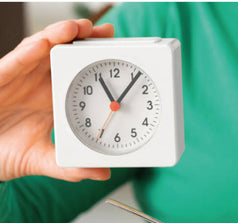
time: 11:06
